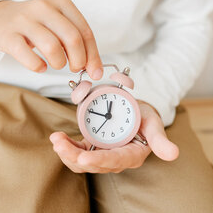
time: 12:49
